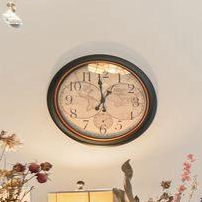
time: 12:59
